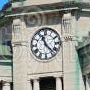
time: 11:22
